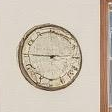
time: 2:45
